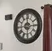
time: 12:14
